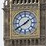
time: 1:39
